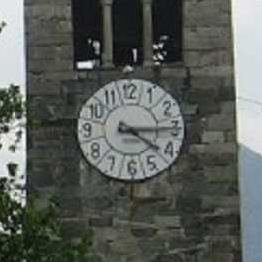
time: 4:14
